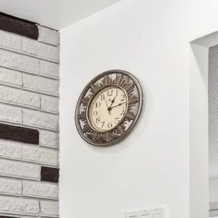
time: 1:13
